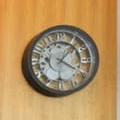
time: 4:07
